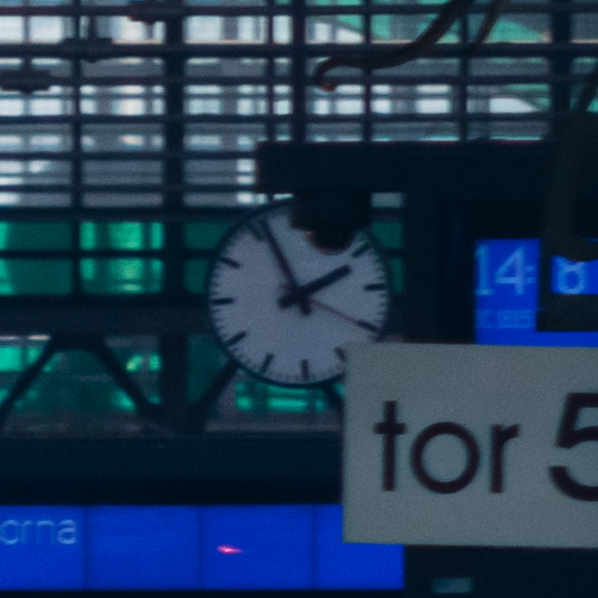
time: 1:56
